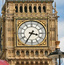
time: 3:35
